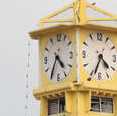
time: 4:35
